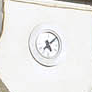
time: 5:08
